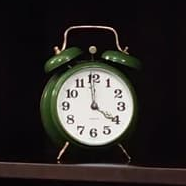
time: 3:59
